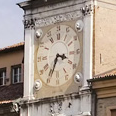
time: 3:34
